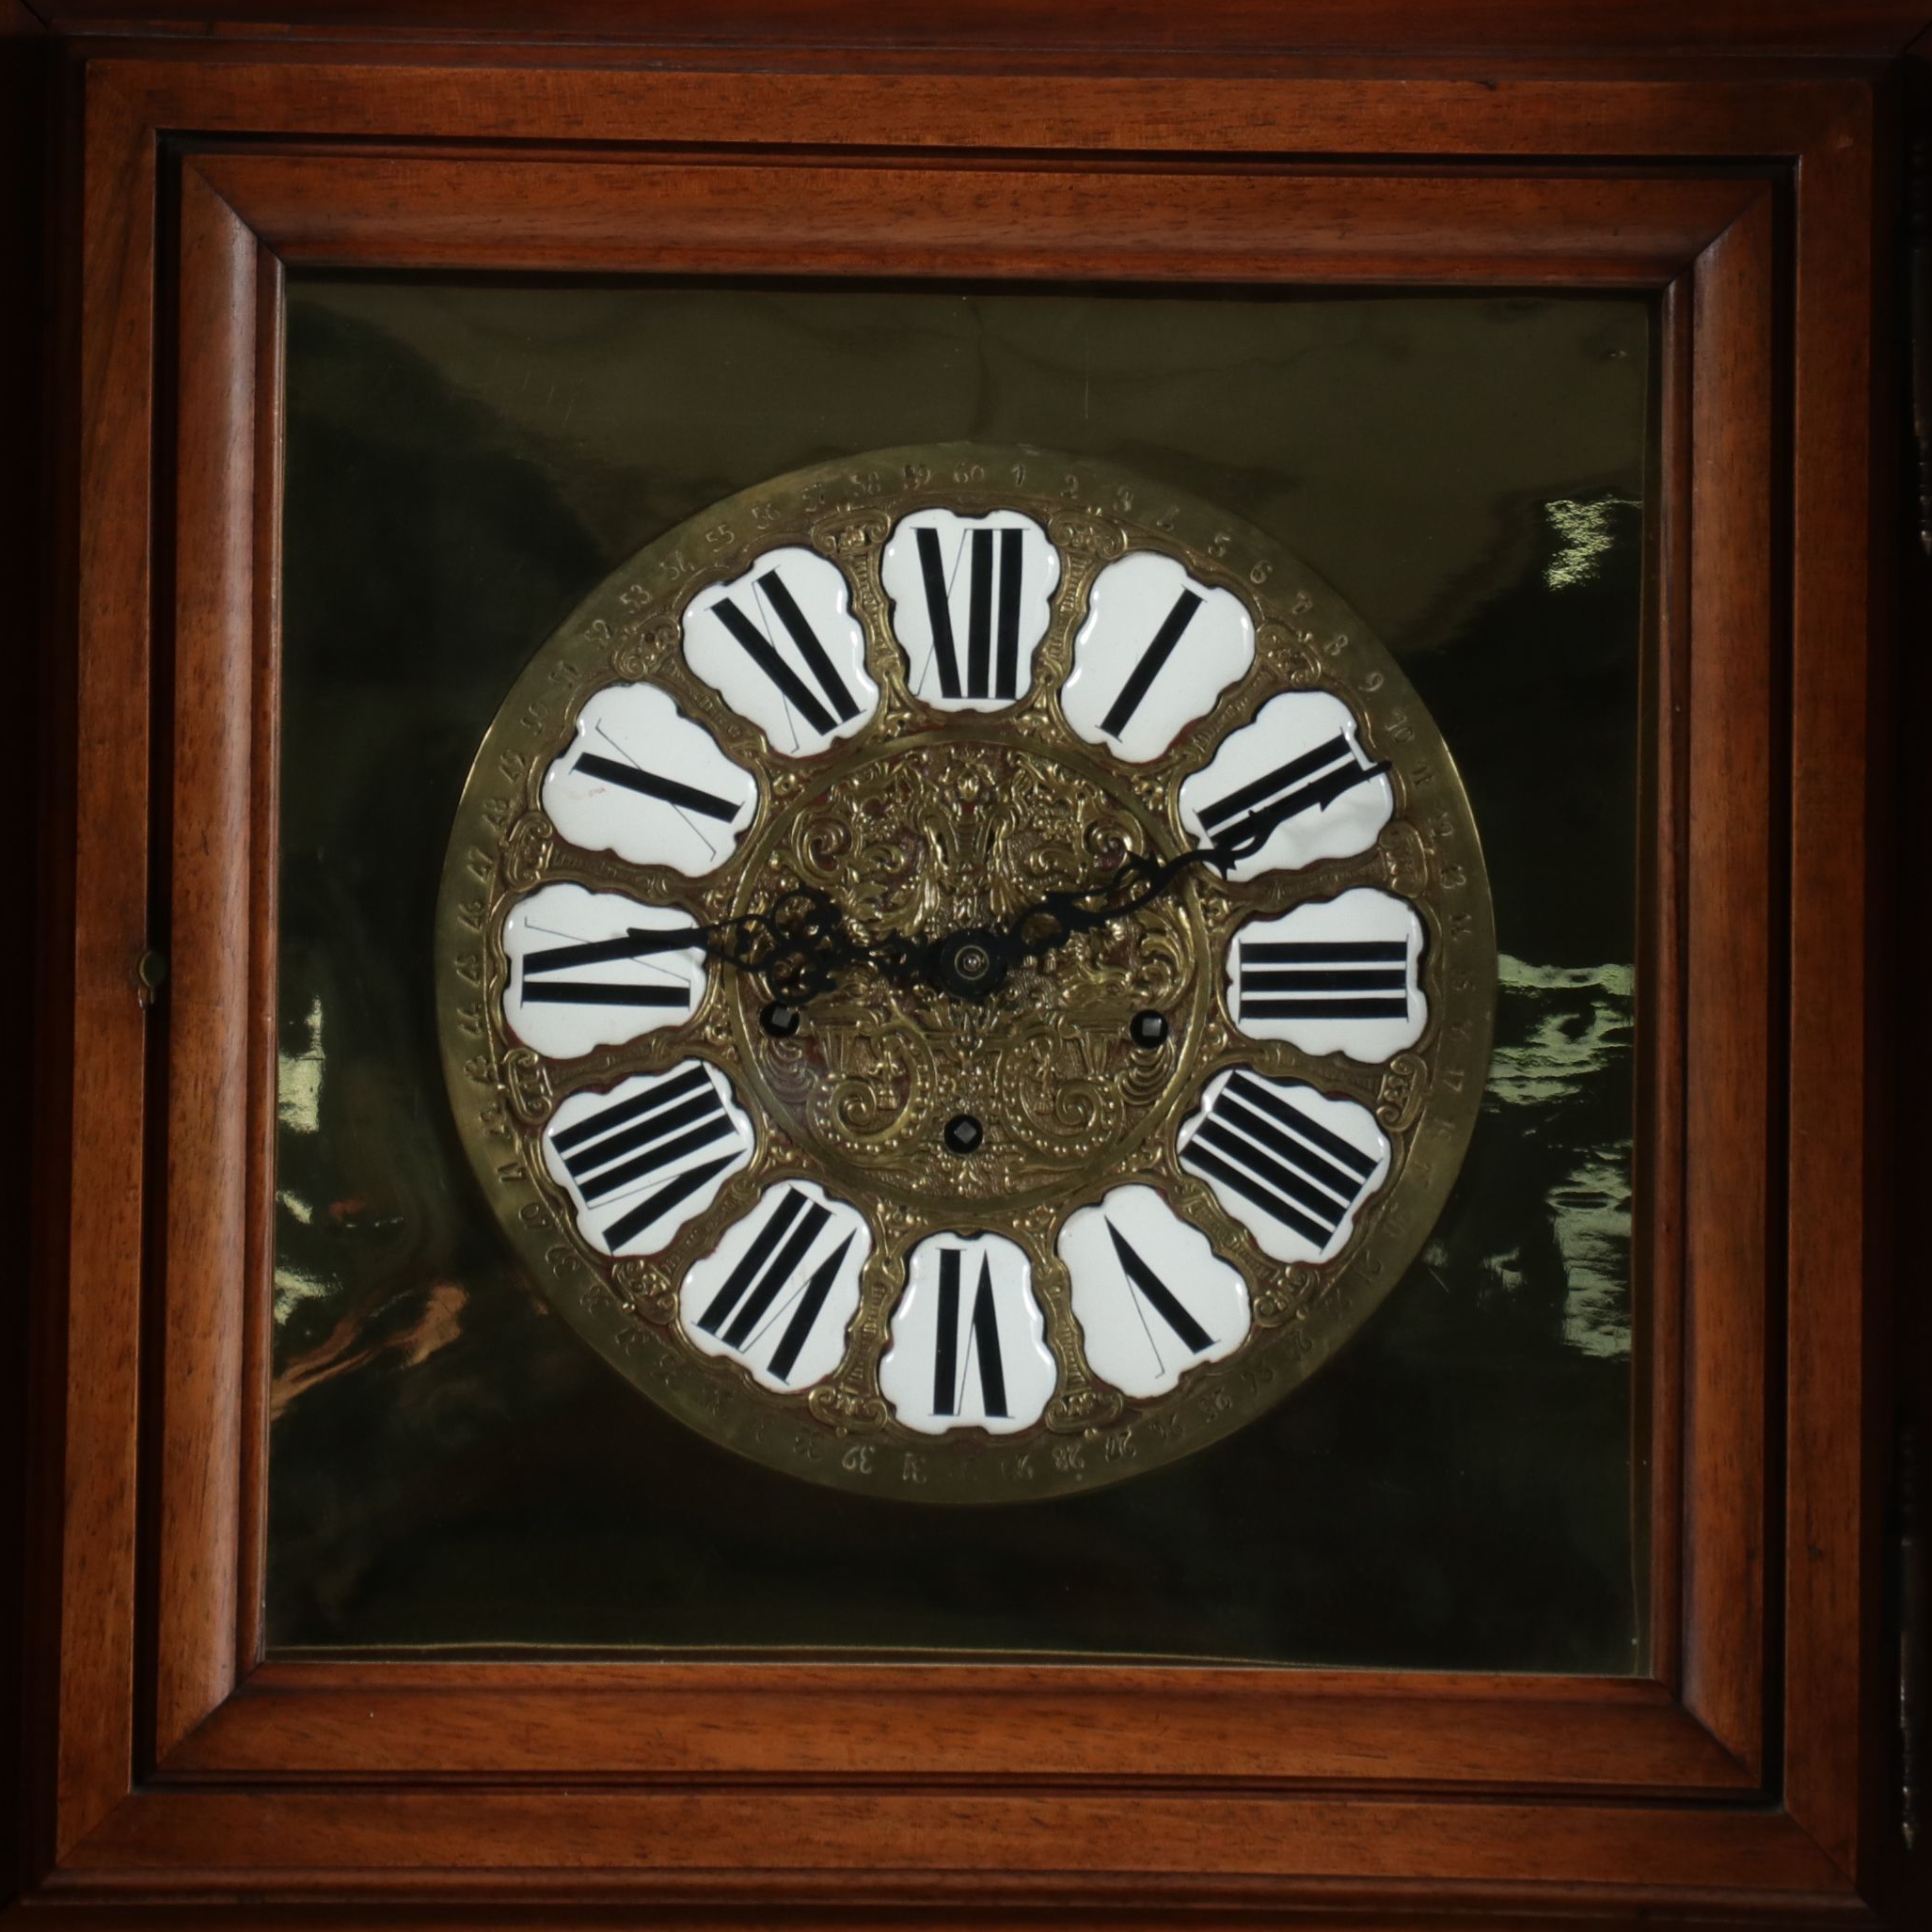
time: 9:10
